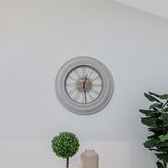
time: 12:28
